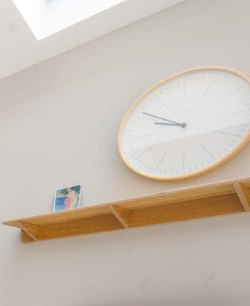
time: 8:48
